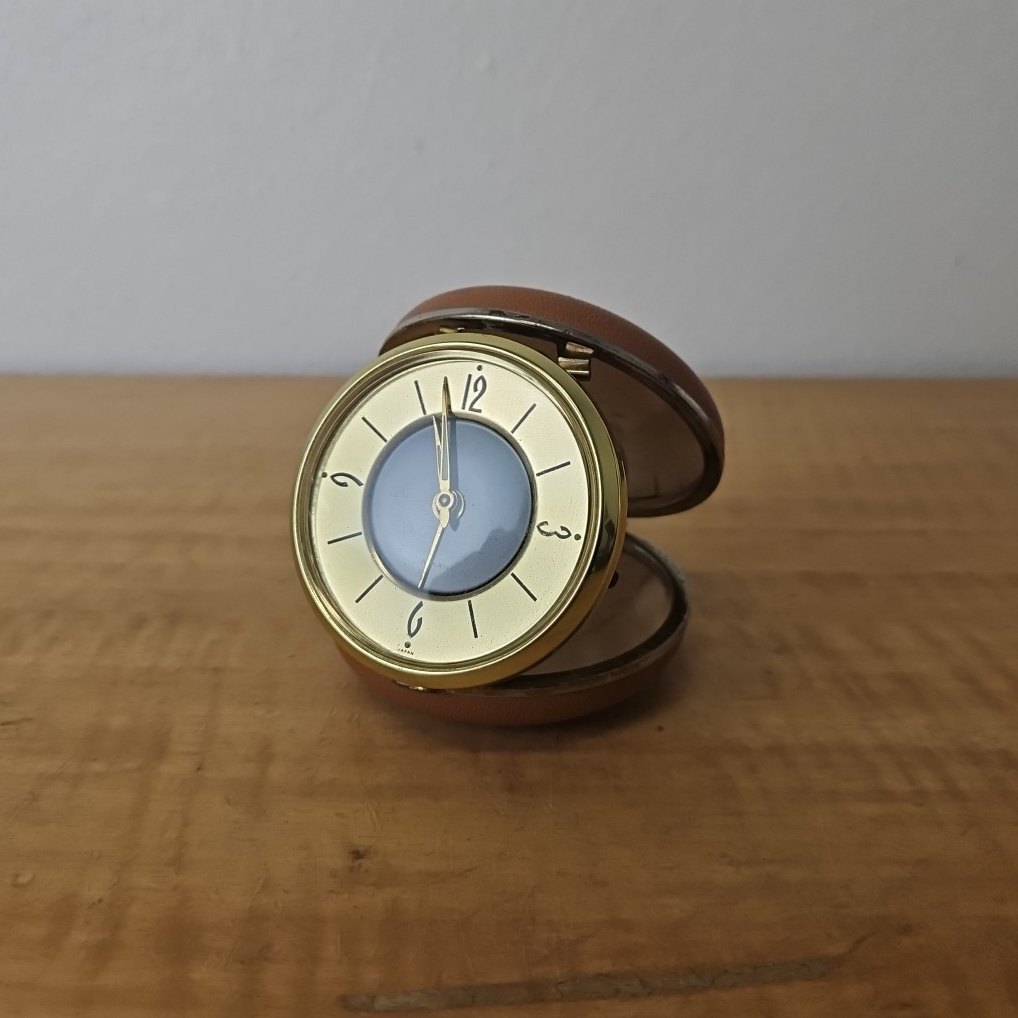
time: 5:57
